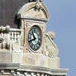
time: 10:41
